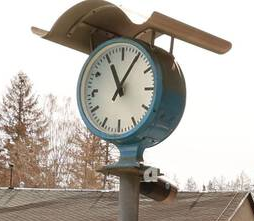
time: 11:05
